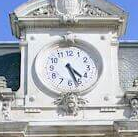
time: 4:26
